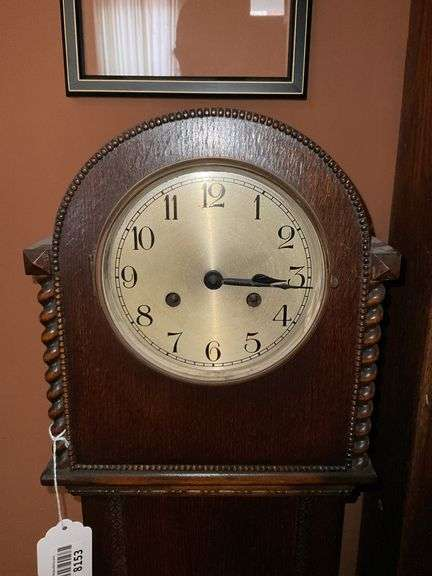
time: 3:15
